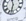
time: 11:32
